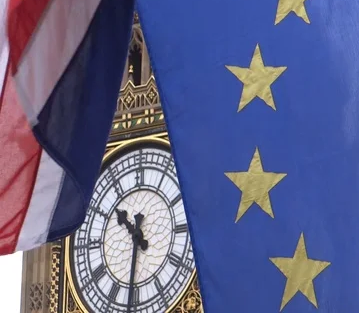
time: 10:31
